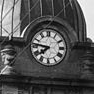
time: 7:46
